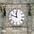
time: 11:48
